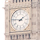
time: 1:46
